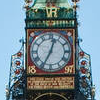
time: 12:34
